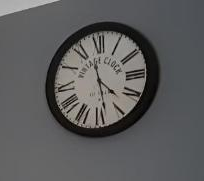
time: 4:28
